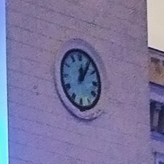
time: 12:05
